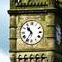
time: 10:35
